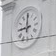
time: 8:59
